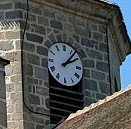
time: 2:06
